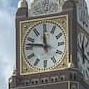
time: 11:46
